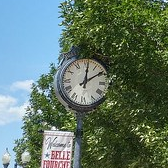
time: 12:09
